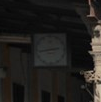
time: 2:43
